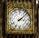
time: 2:07
